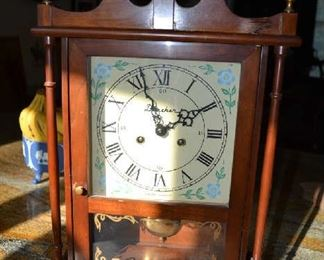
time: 1:56
